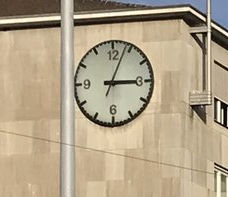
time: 3:03
